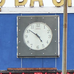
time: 4:51
